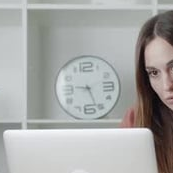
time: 9:26
